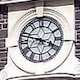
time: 3:47
